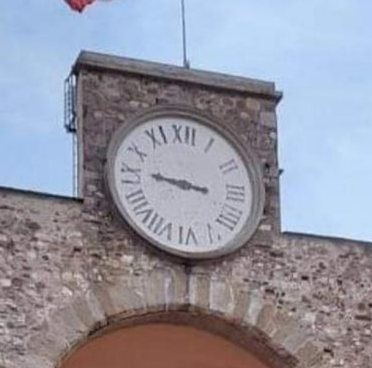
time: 8:45
